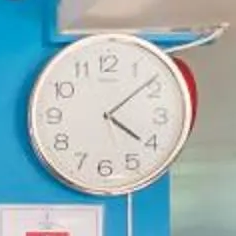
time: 4:08
